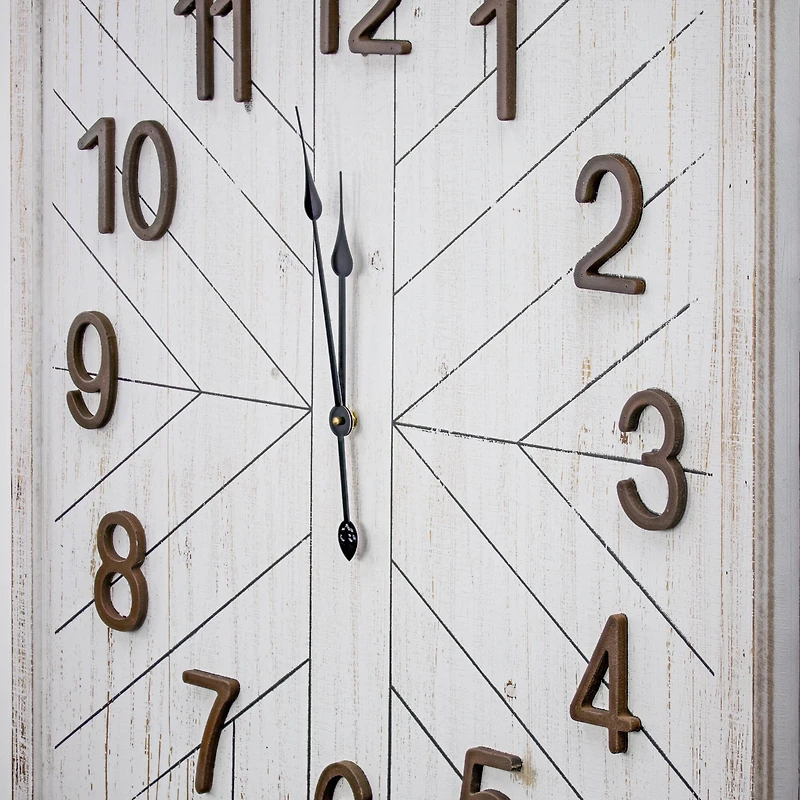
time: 11:57
